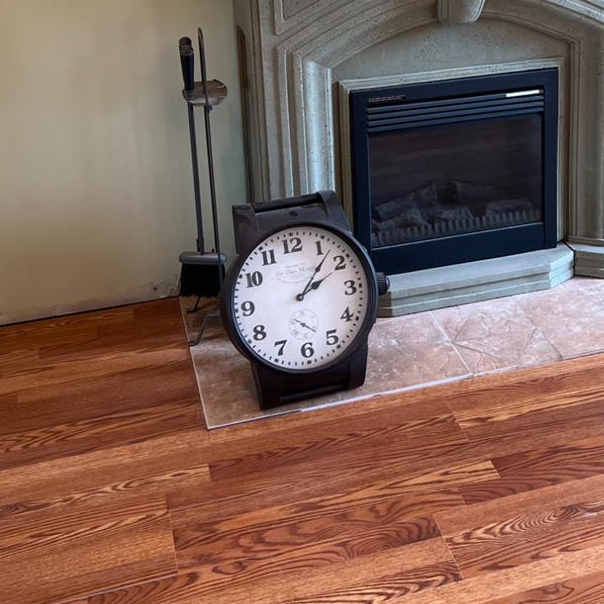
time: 2:07
